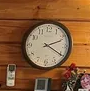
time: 2:20
